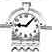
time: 9:07
